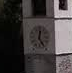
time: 12:24
